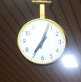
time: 7:03
